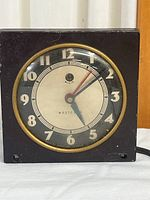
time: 5:08
